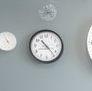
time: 10:23
